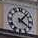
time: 4:07
